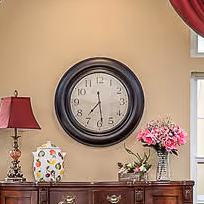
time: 7:28
